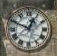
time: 12:49
